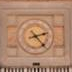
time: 2:23
